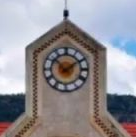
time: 1:52
